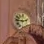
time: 2:46
